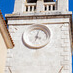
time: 4:02
